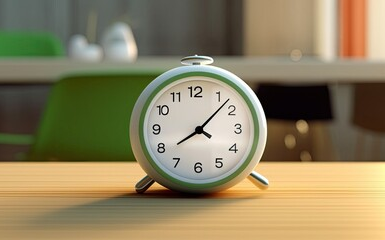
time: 8:07
